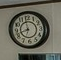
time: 11:42
